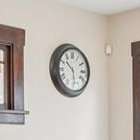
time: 10:28
